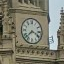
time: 3:37
